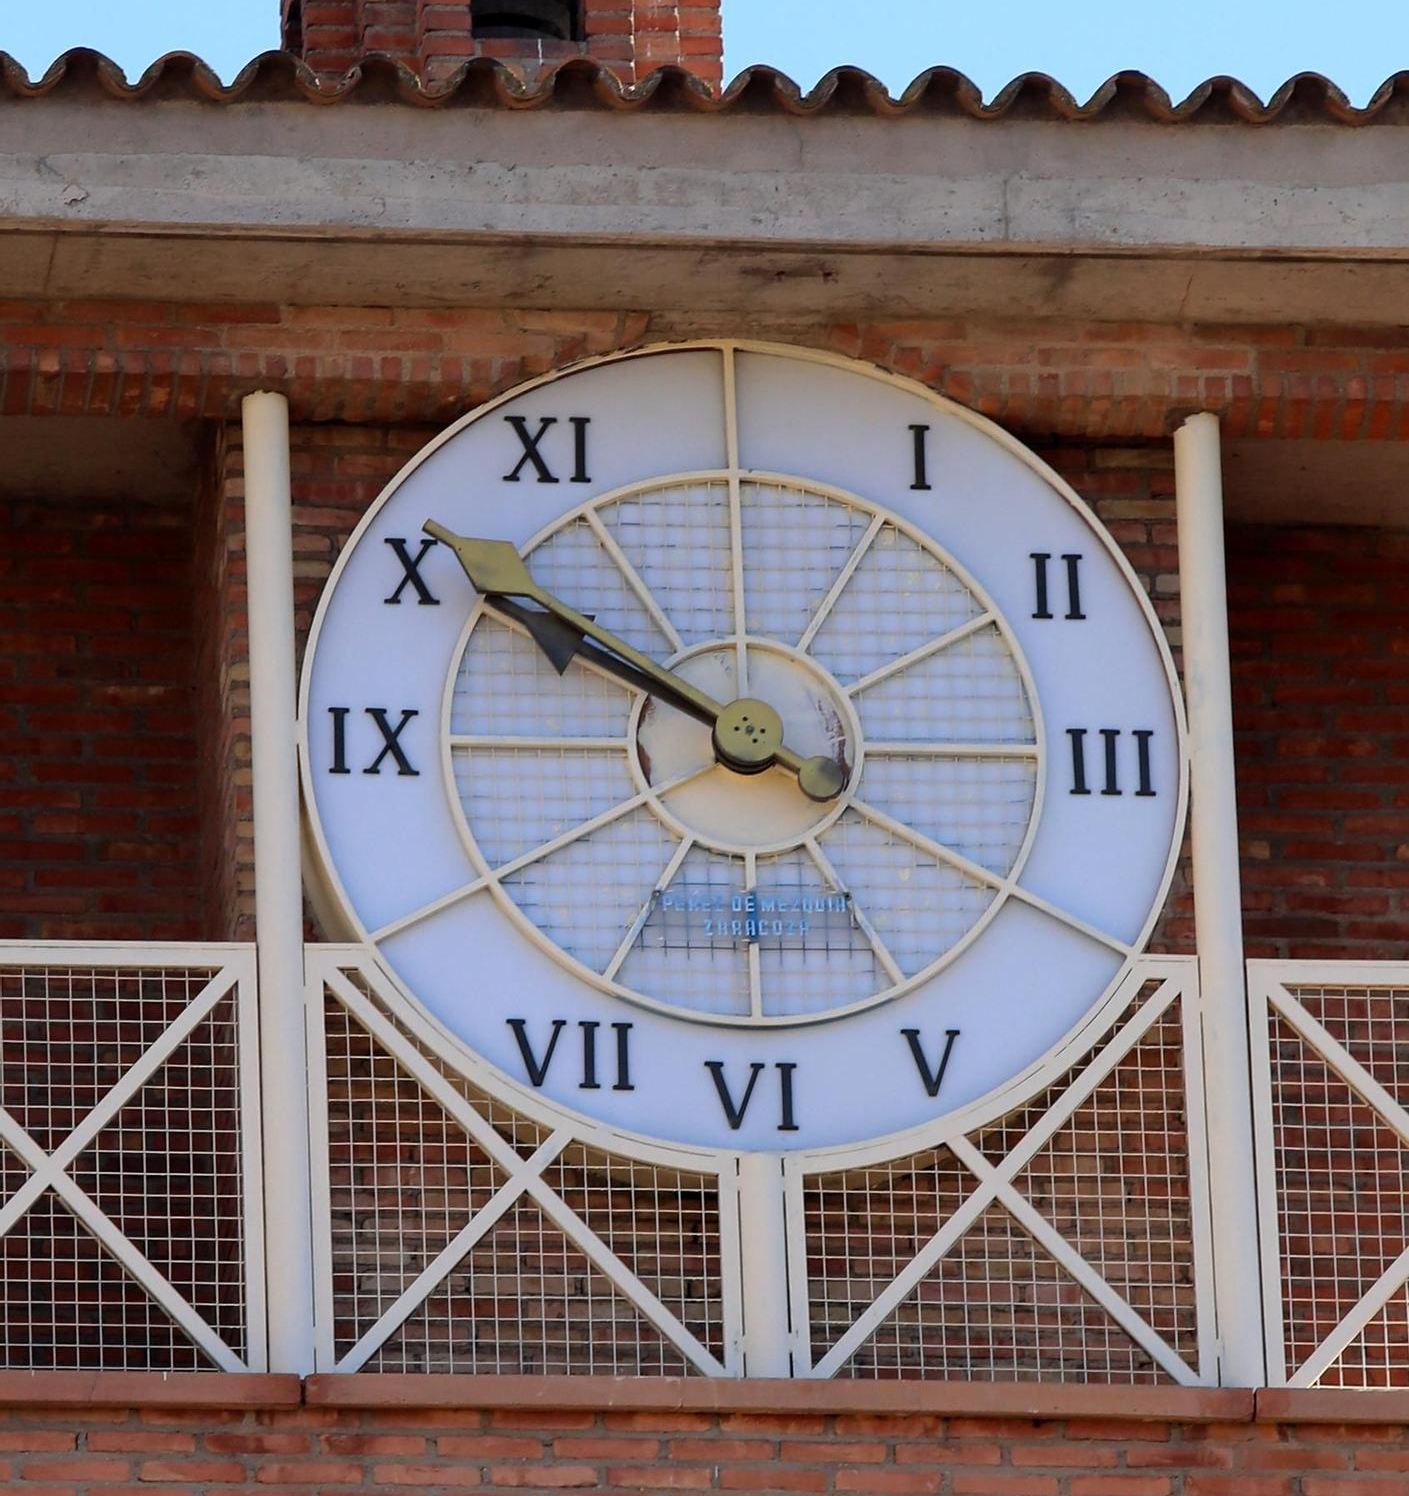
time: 9:50
